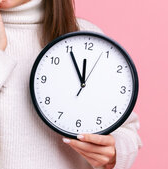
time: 11:55
